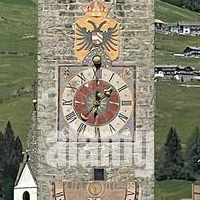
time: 12:07
